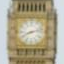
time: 8:12
